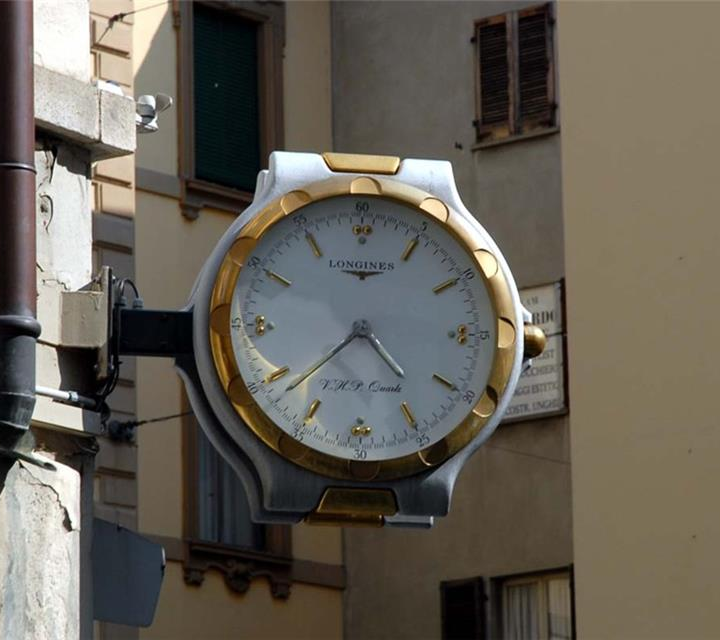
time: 4:37
